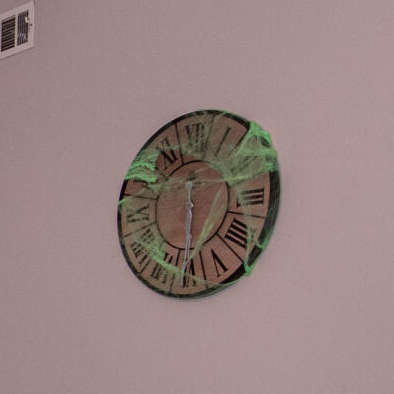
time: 5:59
